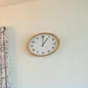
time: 1:00
